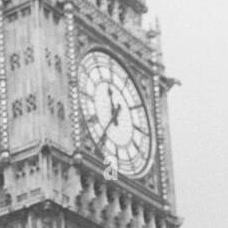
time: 11:35
